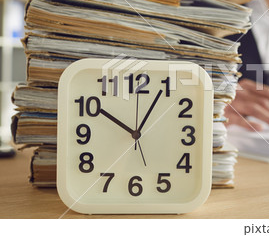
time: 10:04
